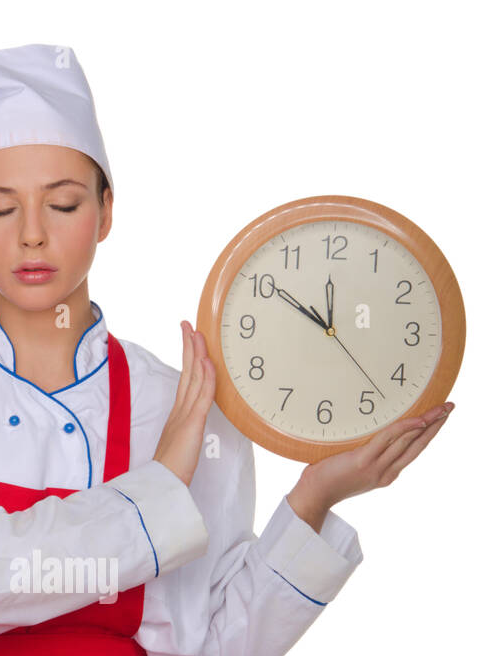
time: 11:50
